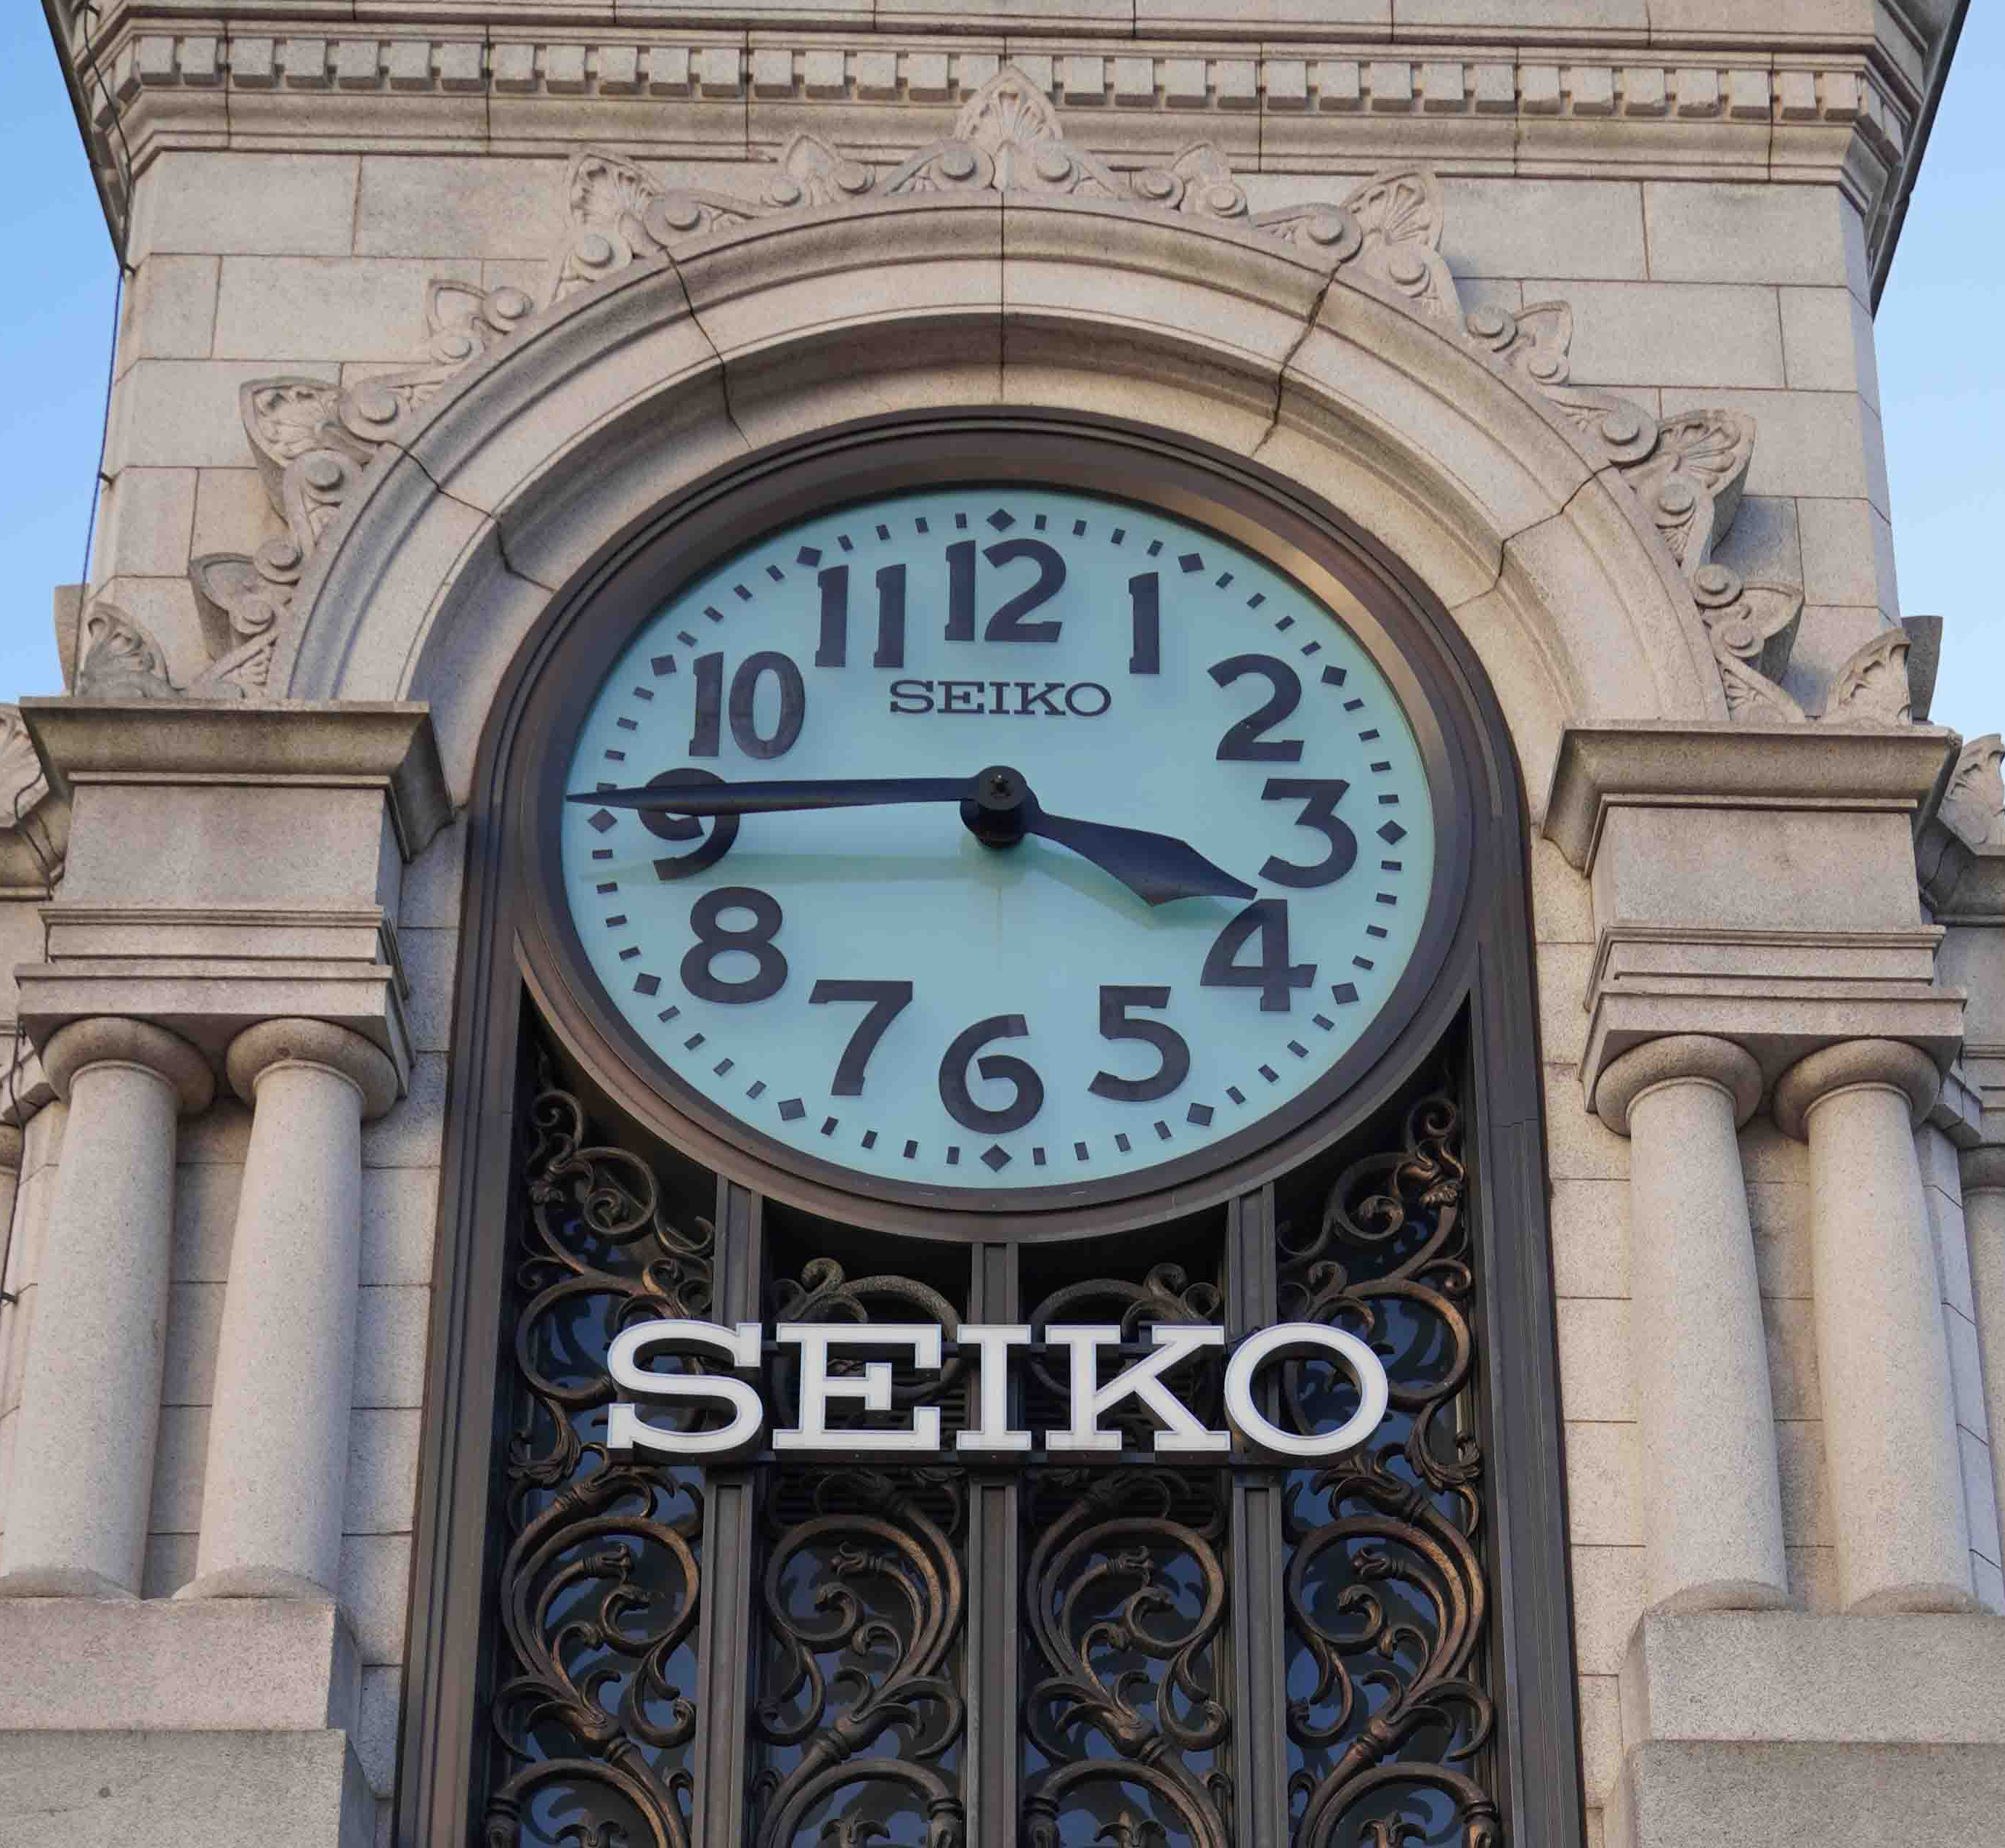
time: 3:44
